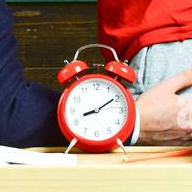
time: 8:09
